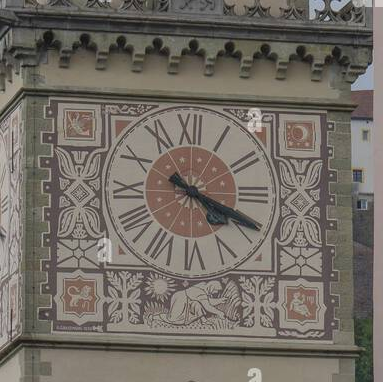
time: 4:19
